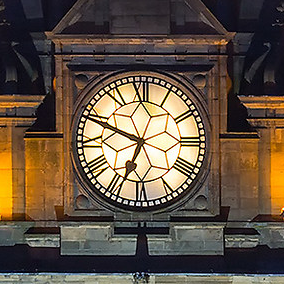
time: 6:48
